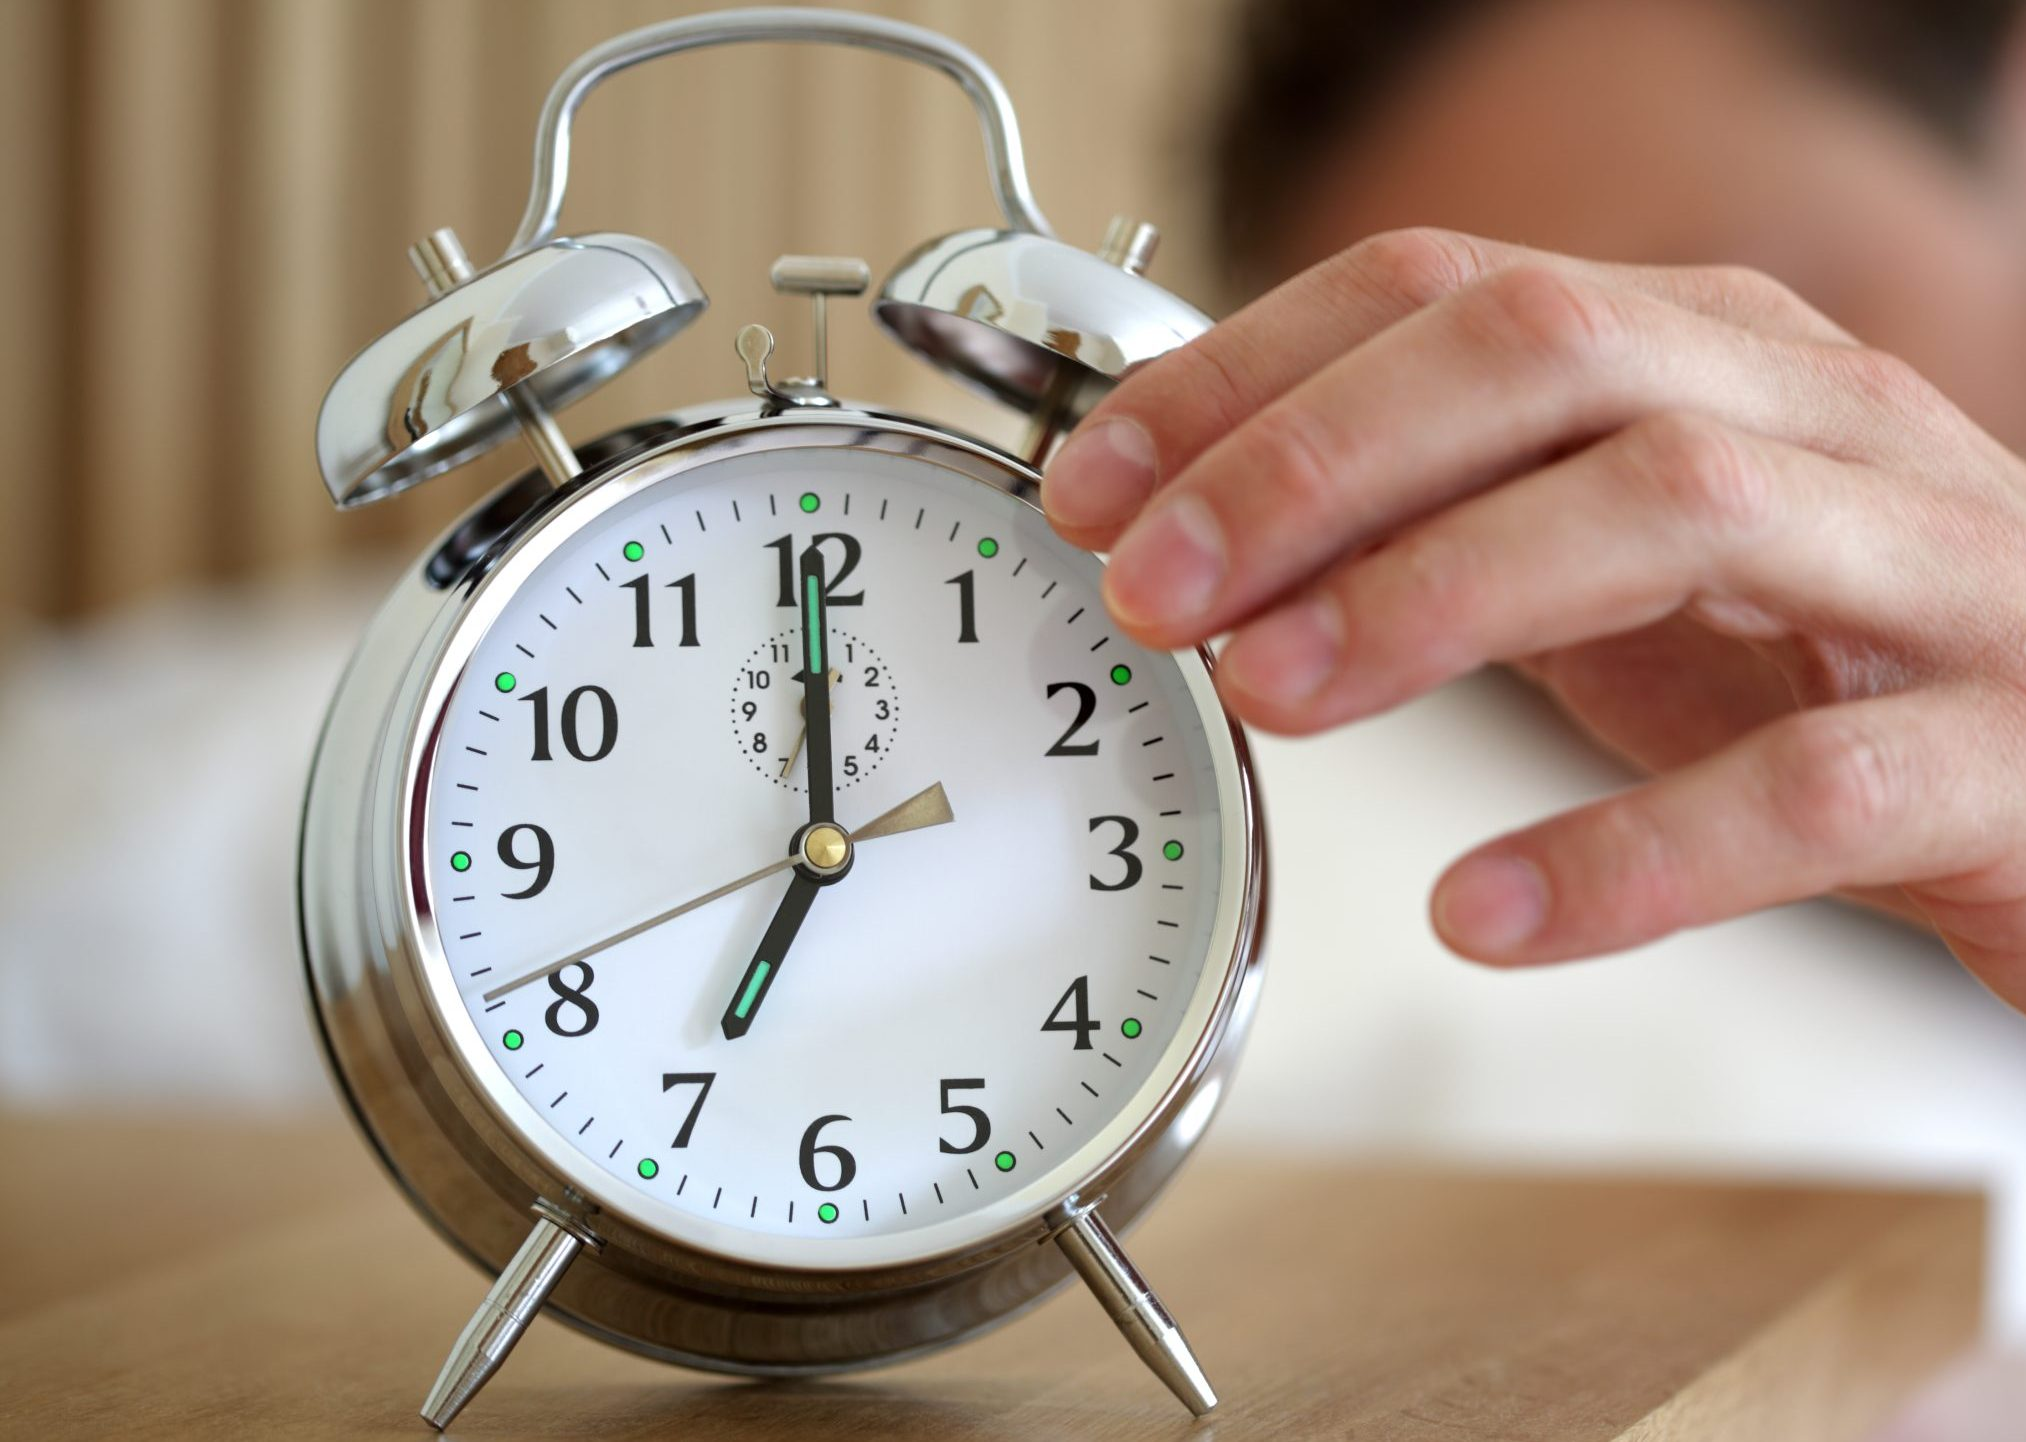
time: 7:00
